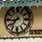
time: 8:37
